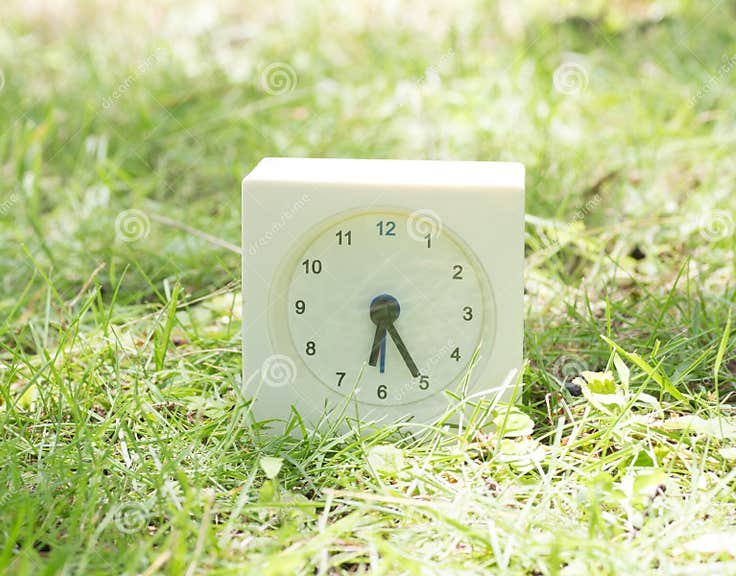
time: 6:25
